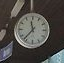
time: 11:36
